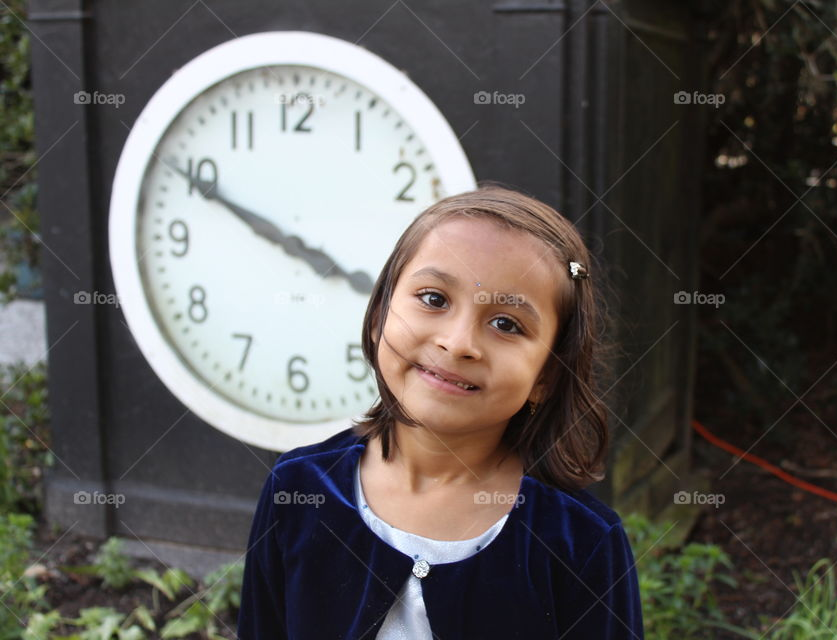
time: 3:49
